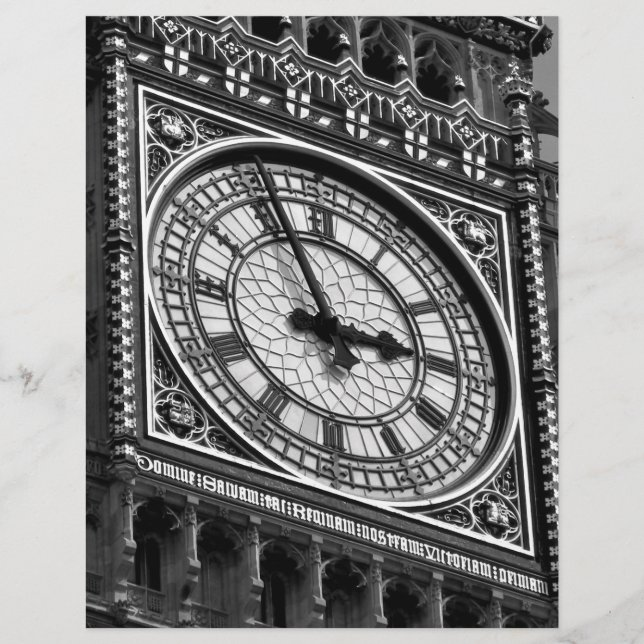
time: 2:56
